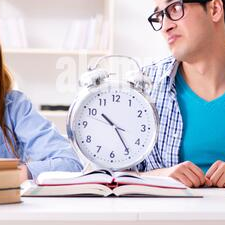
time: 10:24
